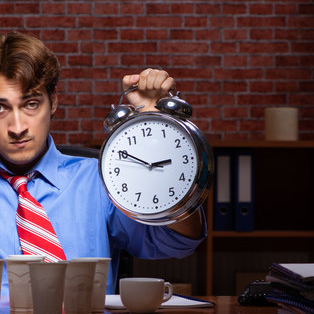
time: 2:50
